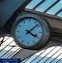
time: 4:07
